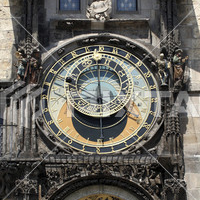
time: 5:59
